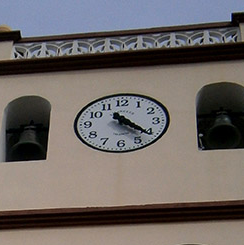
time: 4:21
